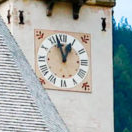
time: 12:57
